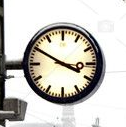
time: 3:50
